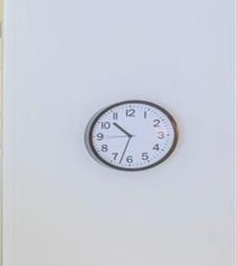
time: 10:32
